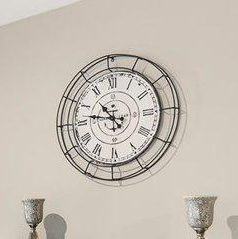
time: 10:46
